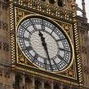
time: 11:27
